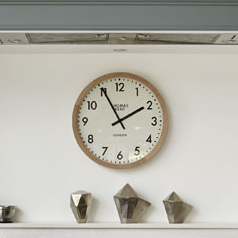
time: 1:55
